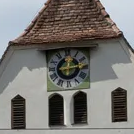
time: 12:13
